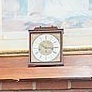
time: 10:15
